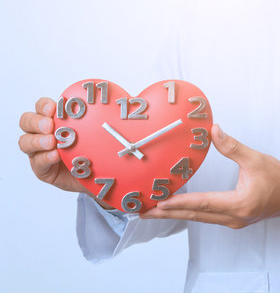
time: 10:10
